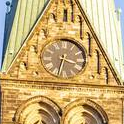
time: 3:32
